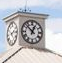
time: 12:52
